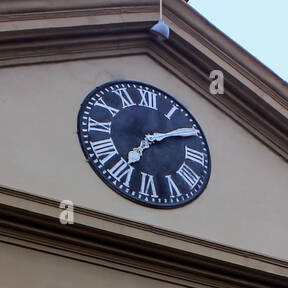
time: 7:09
